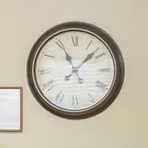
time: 11:07
